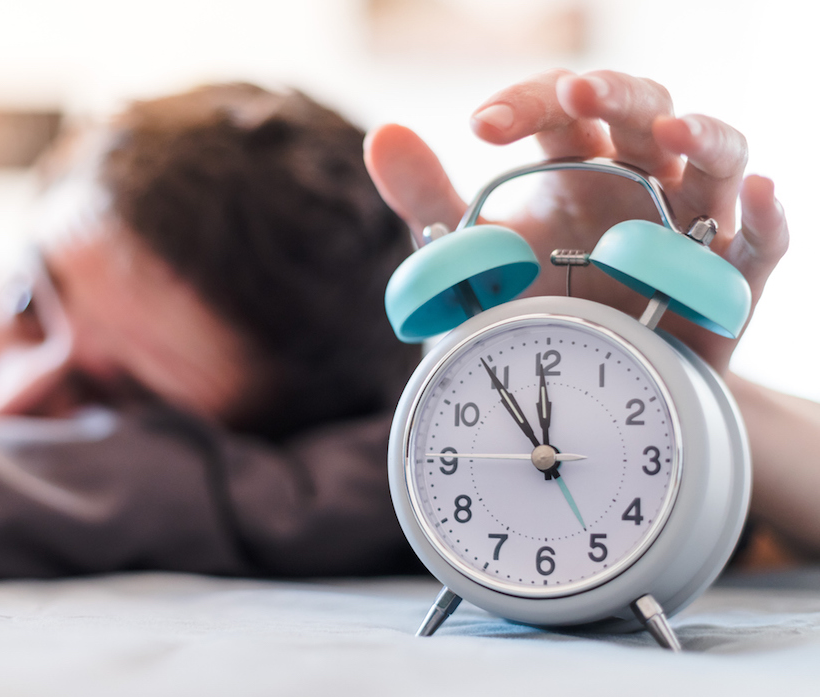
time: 11:54
